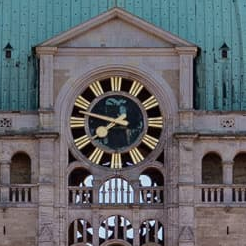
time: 7:47
